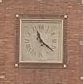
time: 11:21
